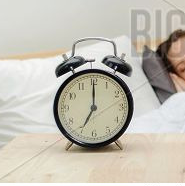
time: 7:00
